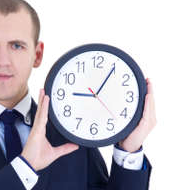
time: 9:05
